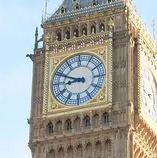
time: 8:48
